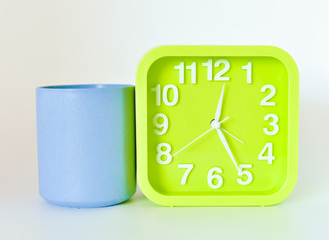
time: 12:25
